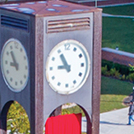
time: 8:54
